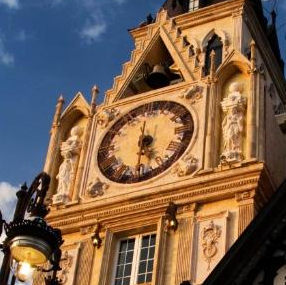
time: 5:30
